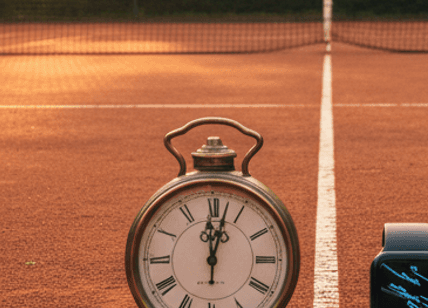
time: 12:02
